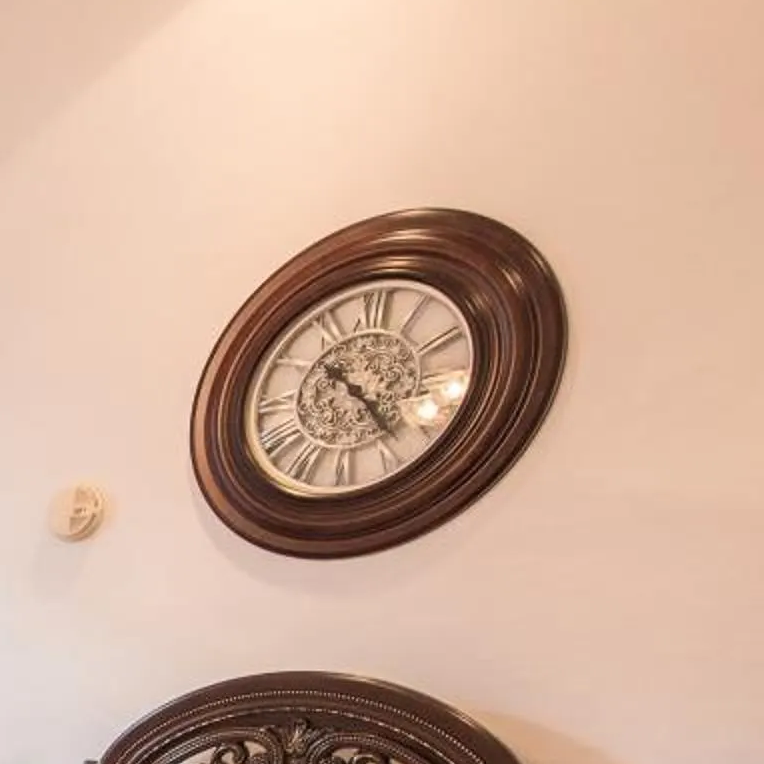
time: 10:22
